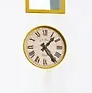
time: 1:24
